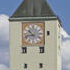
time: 10:42
